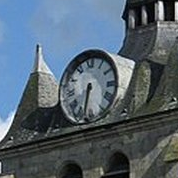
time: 6:32
